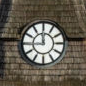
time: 11:44
